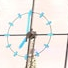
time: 7:15
